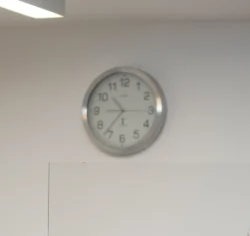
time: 10:36
